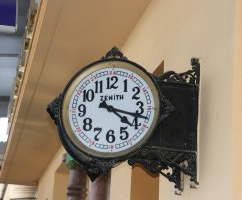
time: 4:17
